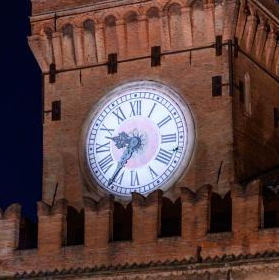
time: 9:35
